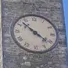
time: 10:21
